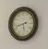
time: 5:42
